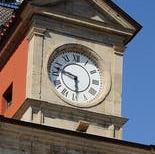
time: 5:47
